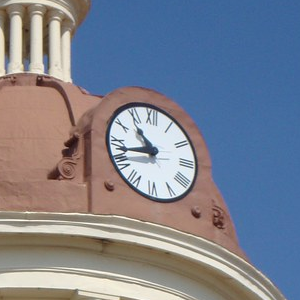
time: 10:42
